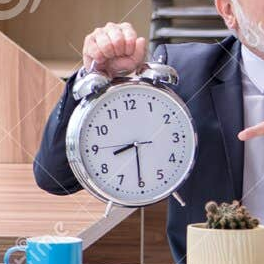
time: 8:30
